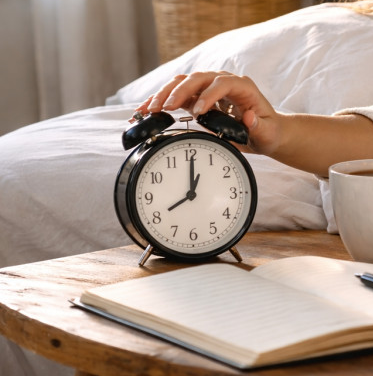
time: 8:00
